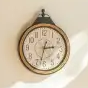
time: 2:32
